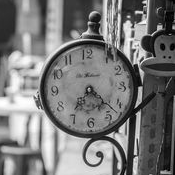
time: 7:22
